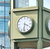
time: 3:32
